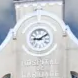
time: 9:09
